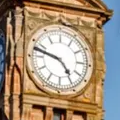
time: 4:47
